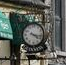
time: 4:17
